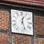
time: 12:26
